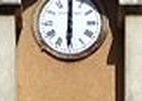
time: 6:00
